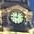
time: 9:01
